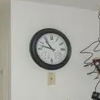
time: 10:47
